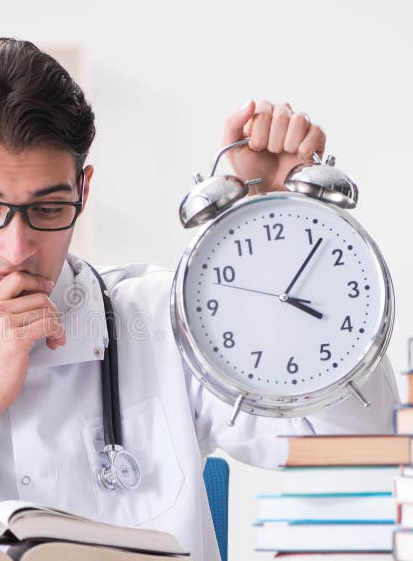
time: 4:06
